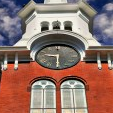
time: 9:30
